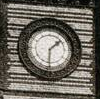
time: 1:30
